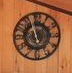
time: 4:57
